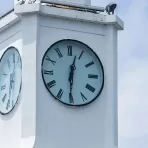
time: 12:30
